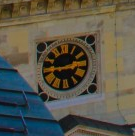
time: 2:43
